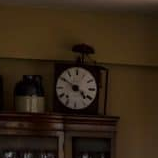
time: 4:50
